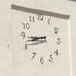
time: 8:42
